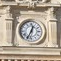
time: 12:34
